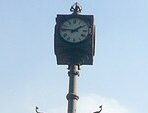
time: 1:46
